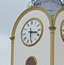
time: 3:30
